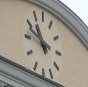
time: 10:48
